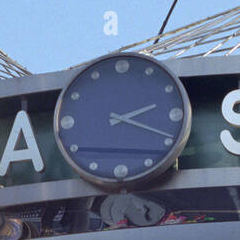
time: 2:19
